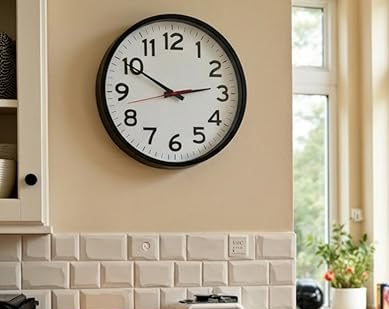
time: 2:49
